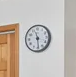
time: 11:29
